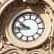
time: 9:43
